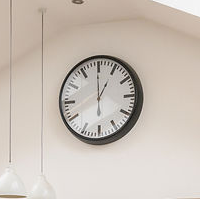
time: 12:59
